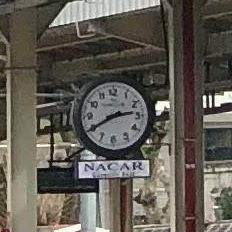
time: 2:40
